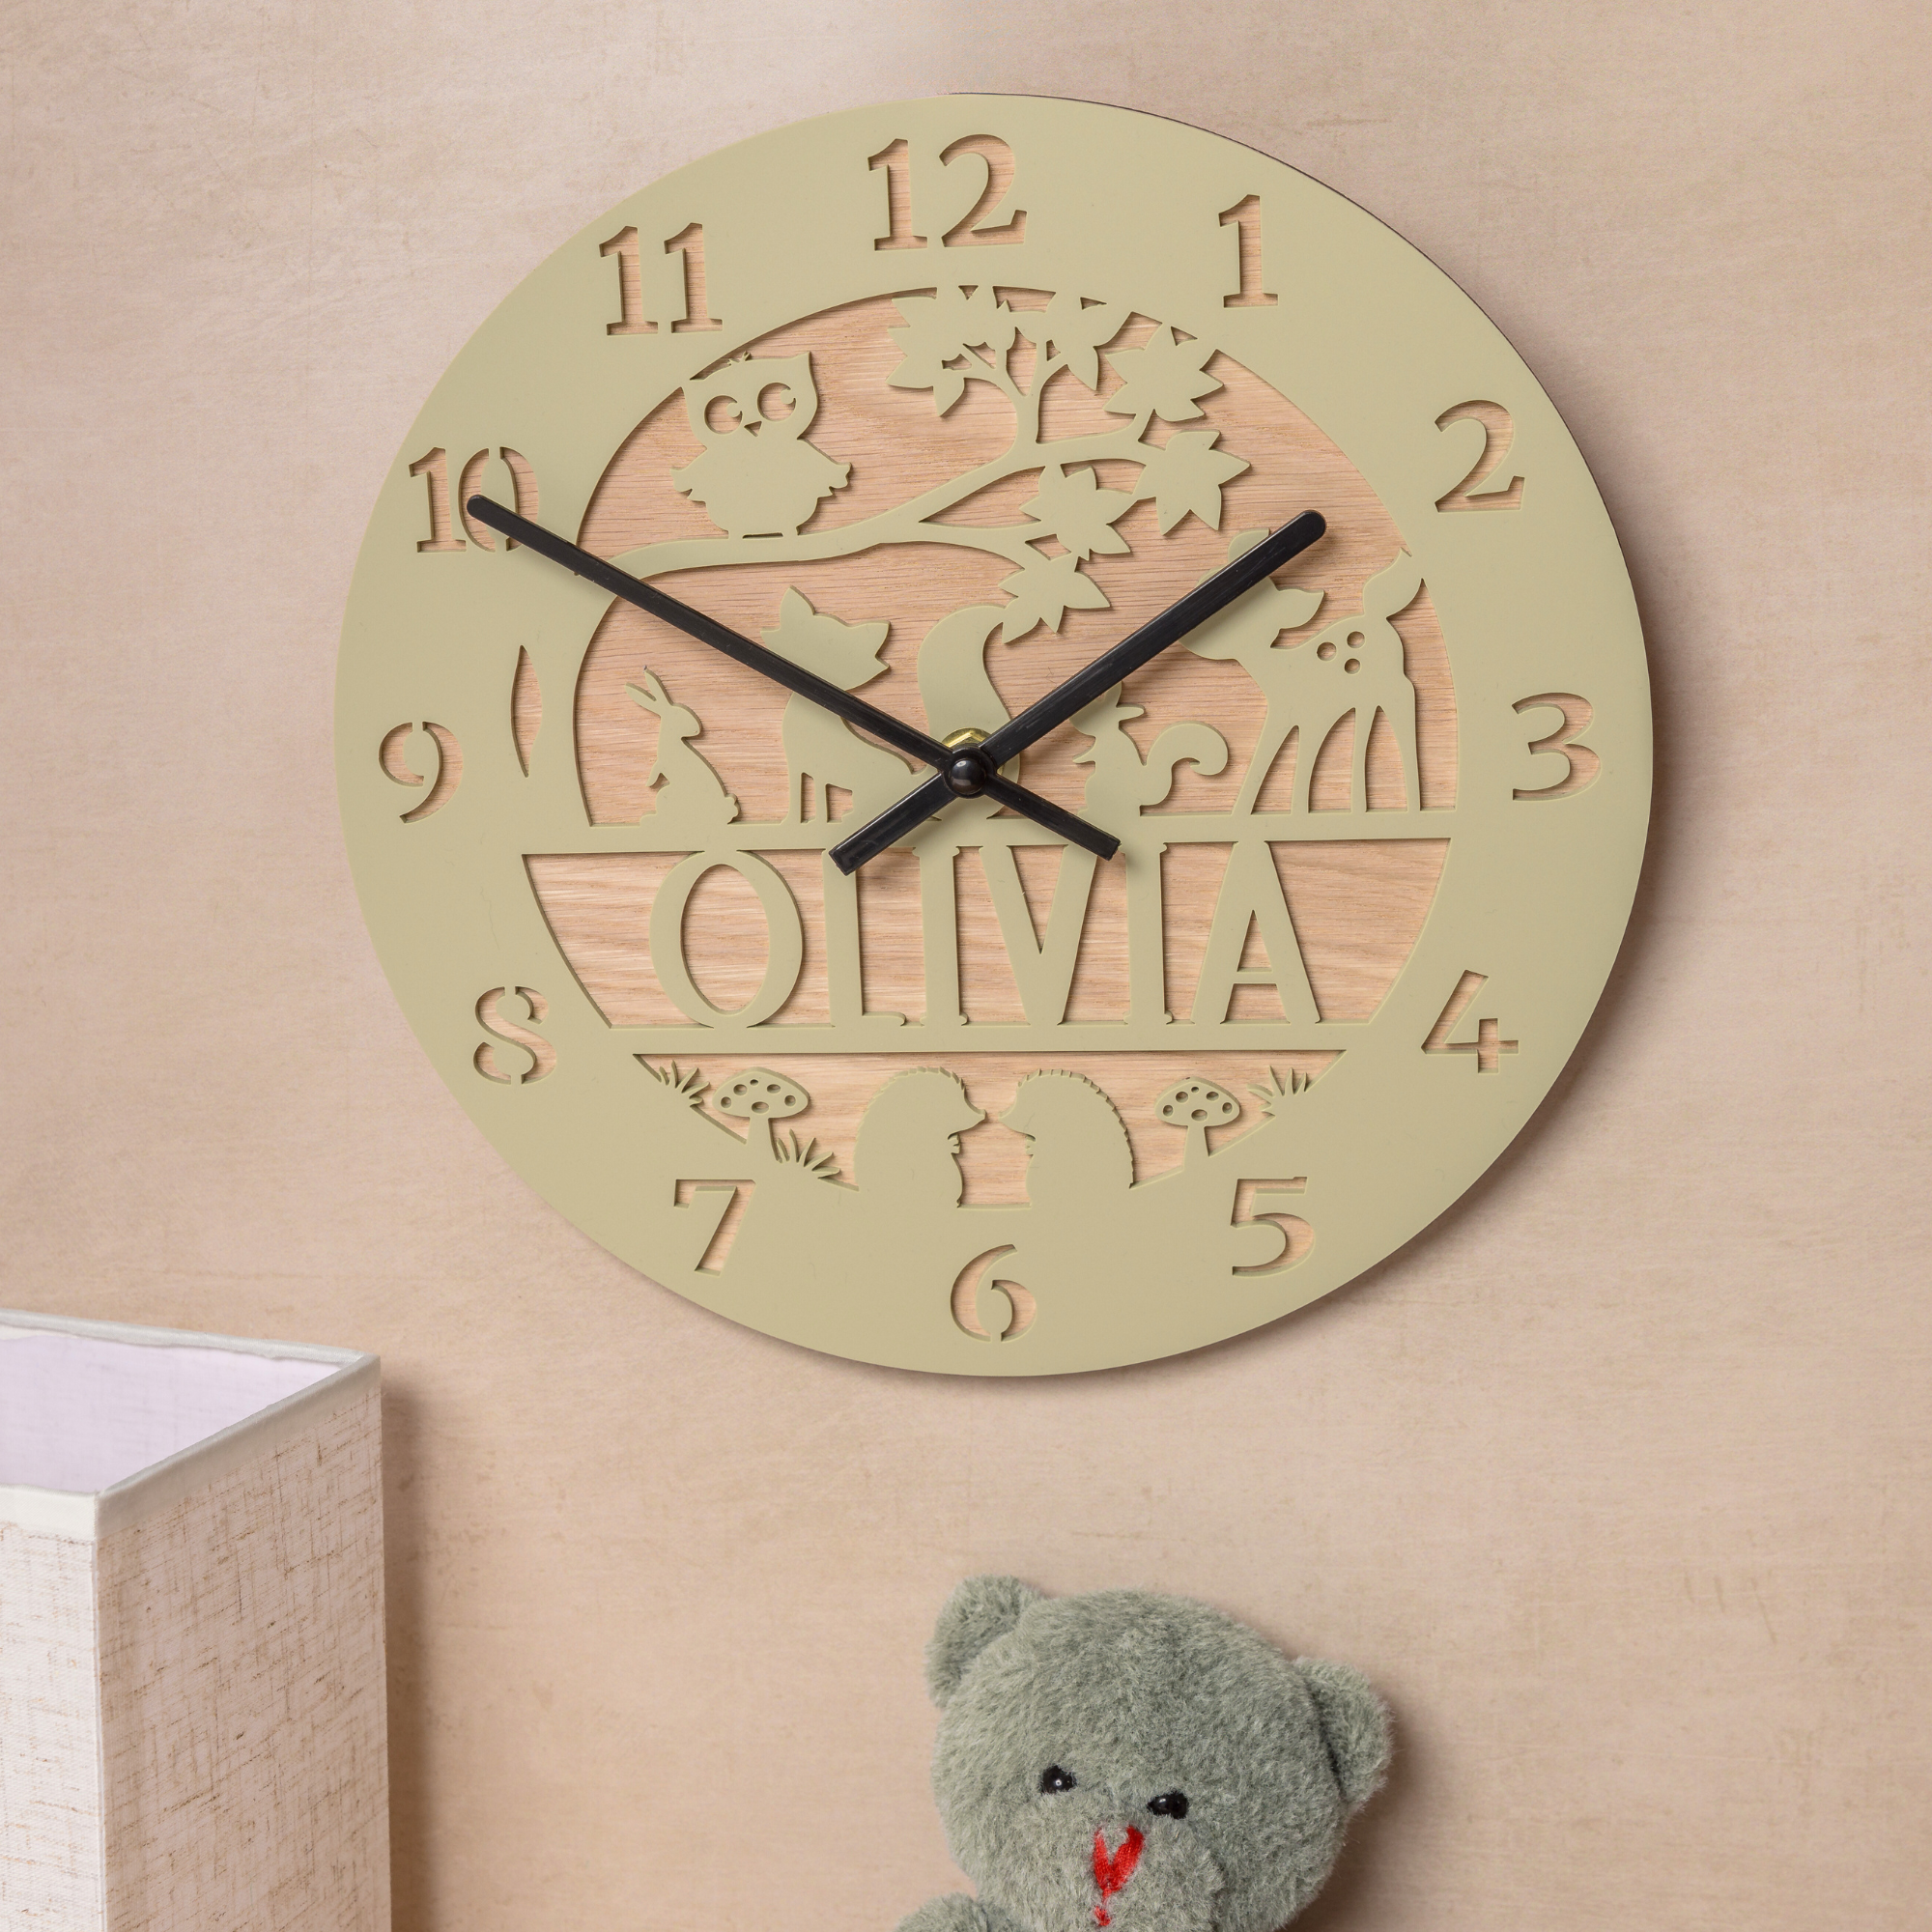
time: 1:50
